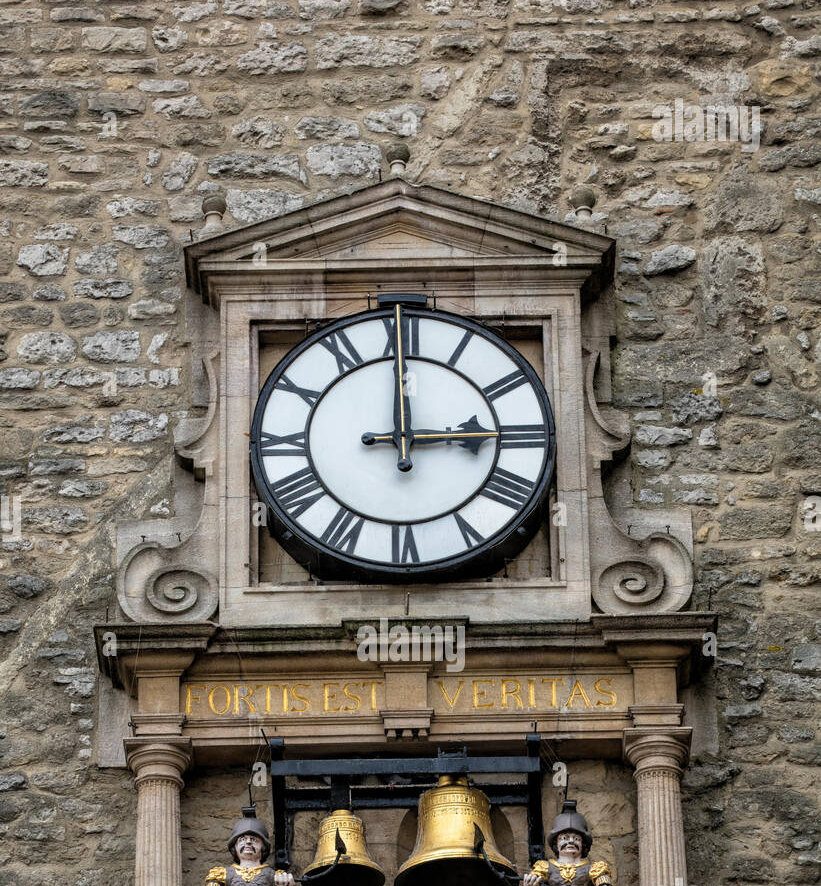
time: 2:59
